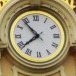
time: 7:53
